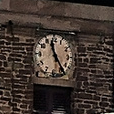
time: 11:24
